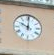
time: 10:00
